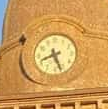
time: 8:26
